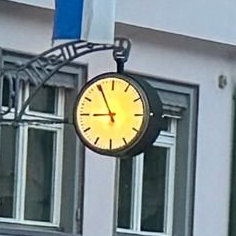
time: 8:55
